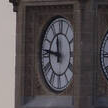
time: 11:46
